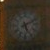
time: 5:11
